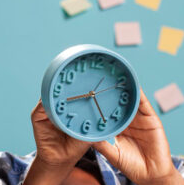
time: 8:23
